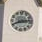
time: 8:13
